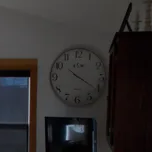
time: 10:20
